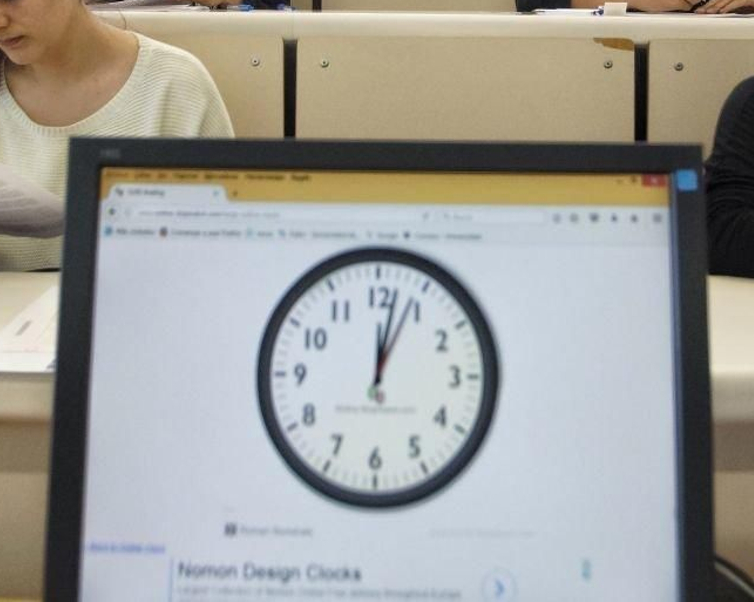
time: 12:02
